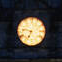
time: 6:46
